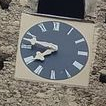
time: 7:47
